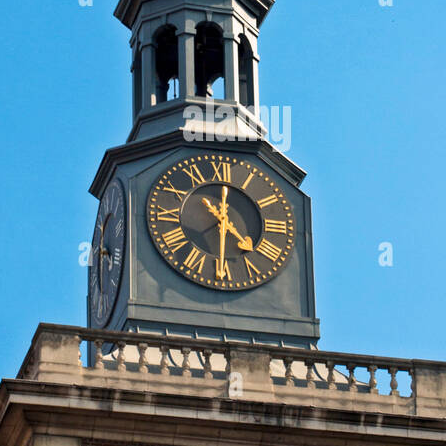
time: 4:30
